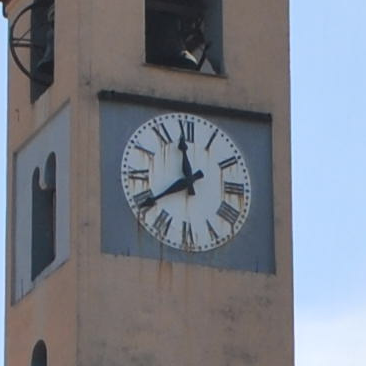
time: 11:39
